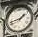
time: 1:42
